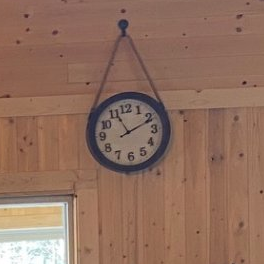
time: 11:11
